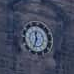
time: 11:33
